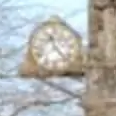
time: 11:23
